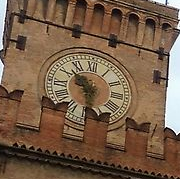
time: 10:28
